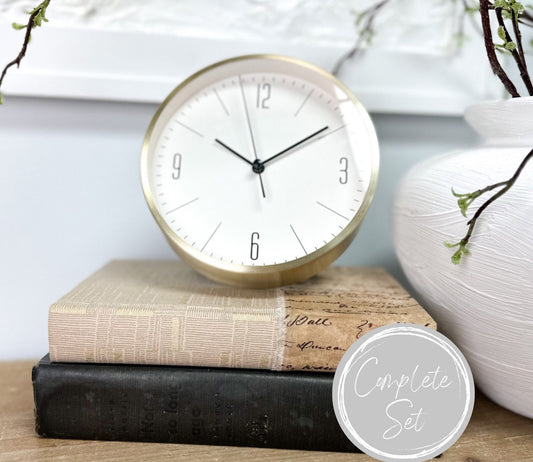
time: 10:09
